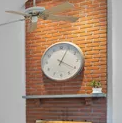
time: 4:04
